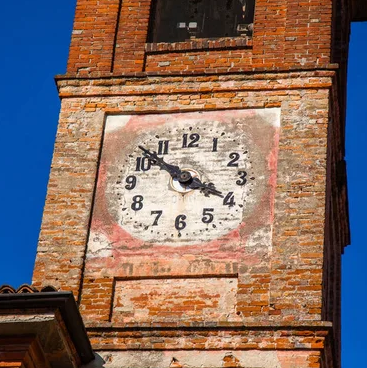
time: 3:52
